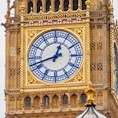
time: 12:42
